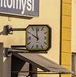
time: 9:58
